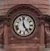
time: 4:58
